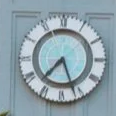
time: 7:26
